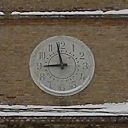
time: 8:58
